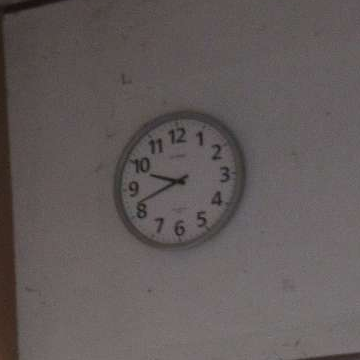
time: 9:41
